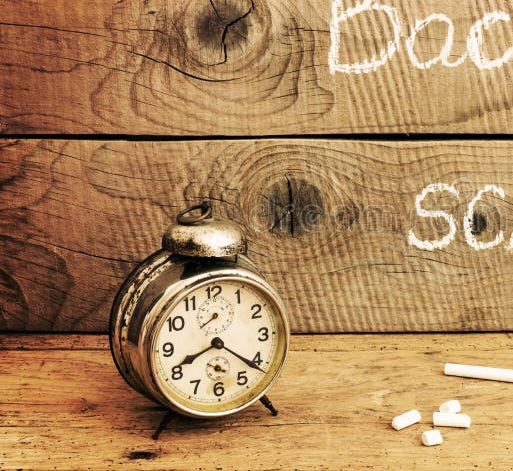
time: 8:21
